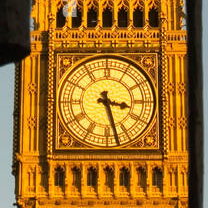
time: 3:27
